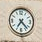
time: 4:35
